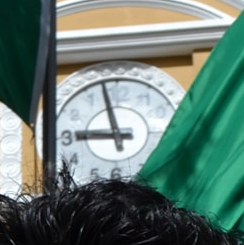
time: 8:57
